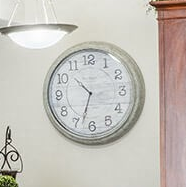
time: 10:33
